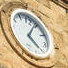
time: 4:04
